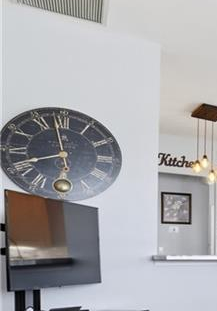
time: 7:58
